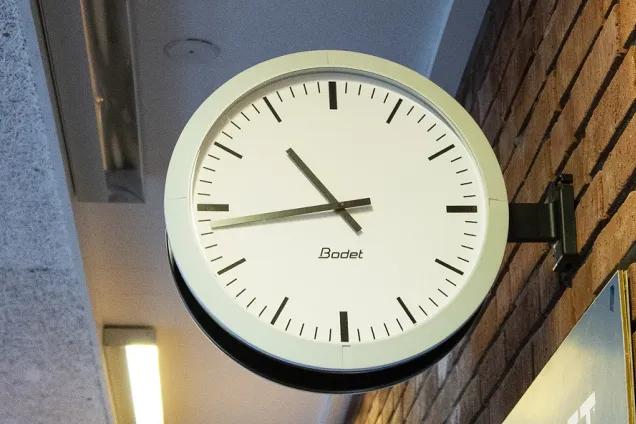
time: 10:43
